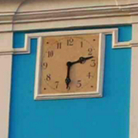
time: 2:30
